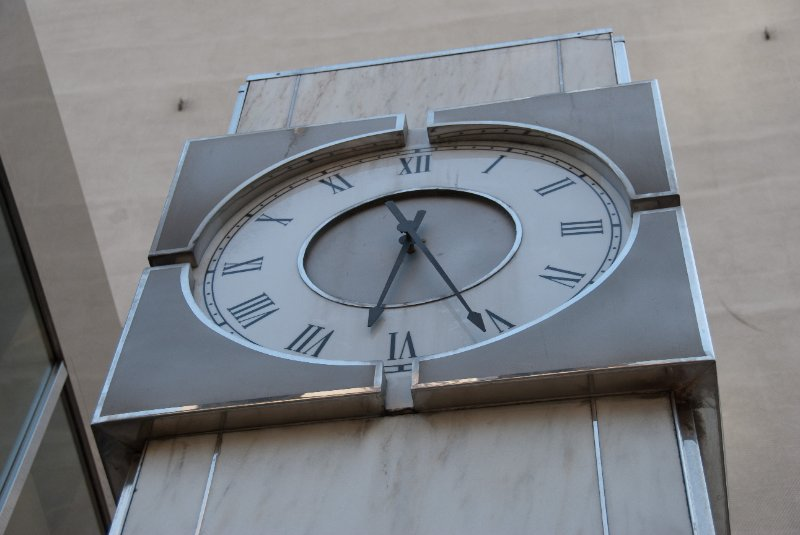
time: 11:32
